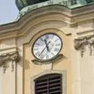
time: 11:36
